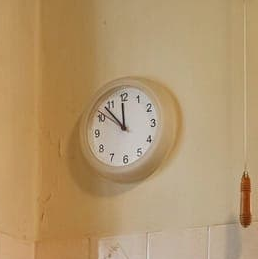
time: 11:52
